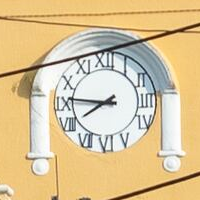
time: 7:46
